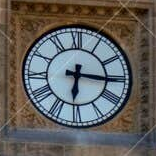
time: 6:15
